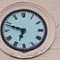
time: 6:48
